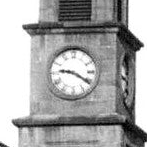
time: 9:20
